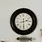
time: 2:30
